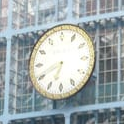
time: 6:41
